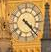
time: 4:22
